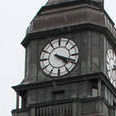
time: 4:18
